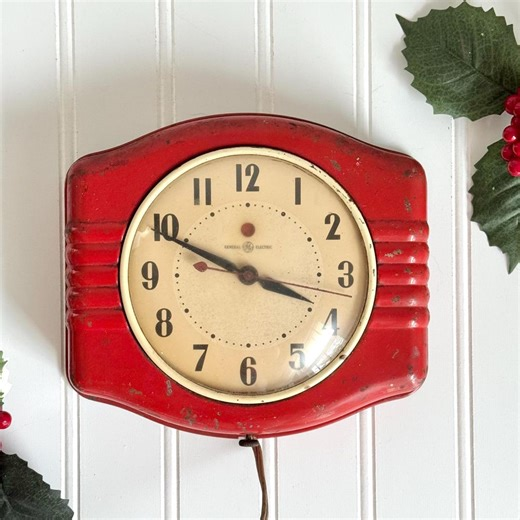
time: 3:49
